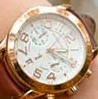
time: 3:20
